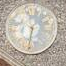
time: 6:32
